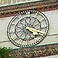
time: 4:18
